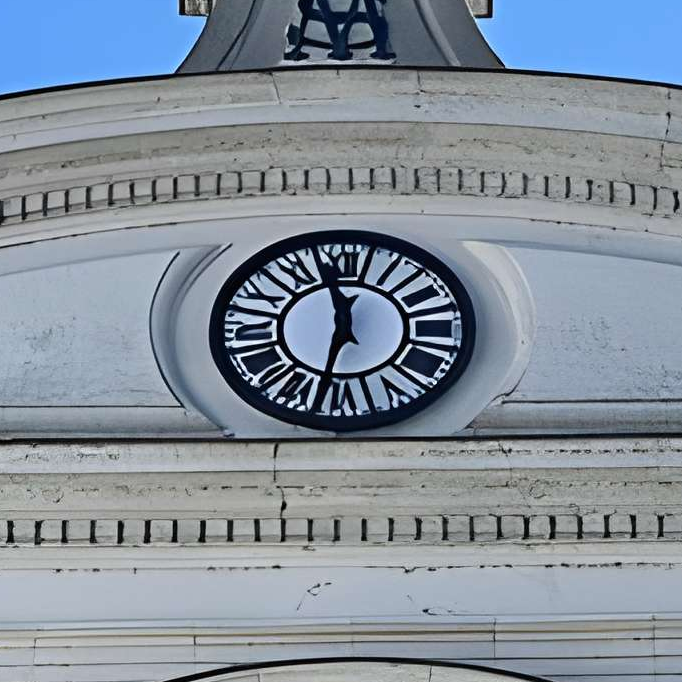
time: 11:32
